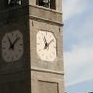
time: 11:08
